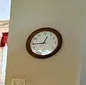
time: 12:44
